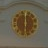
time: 5:59
